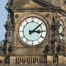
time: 3:08
